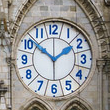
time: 1:51
